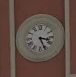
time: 3:26
